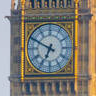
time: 6:49
